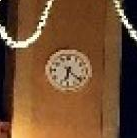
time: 6:21
